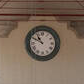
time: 10:49
